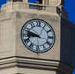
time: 8:47
